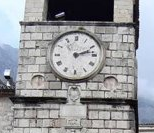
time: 2:12
